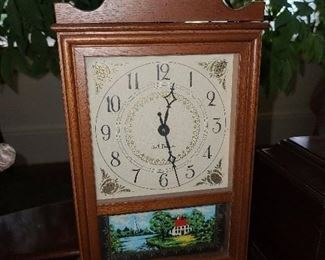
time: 12:27
